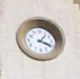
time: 1:18
